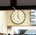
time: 4:59
